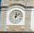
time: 12:07
